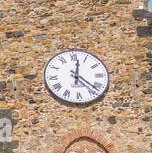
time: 12:22
